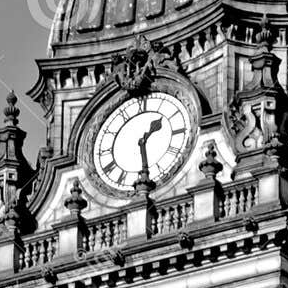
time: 1:28
